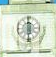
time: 5:59
